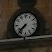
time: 7:37
